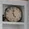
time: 4:59
